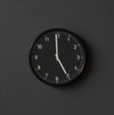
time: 4:59
